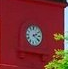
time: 2:21
